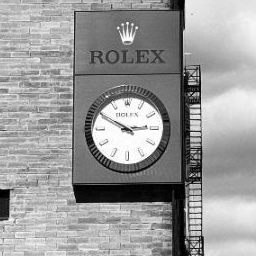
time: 2:49
